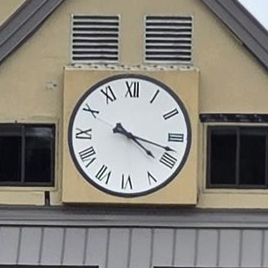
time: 4:17
